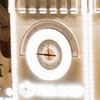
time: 11:45
